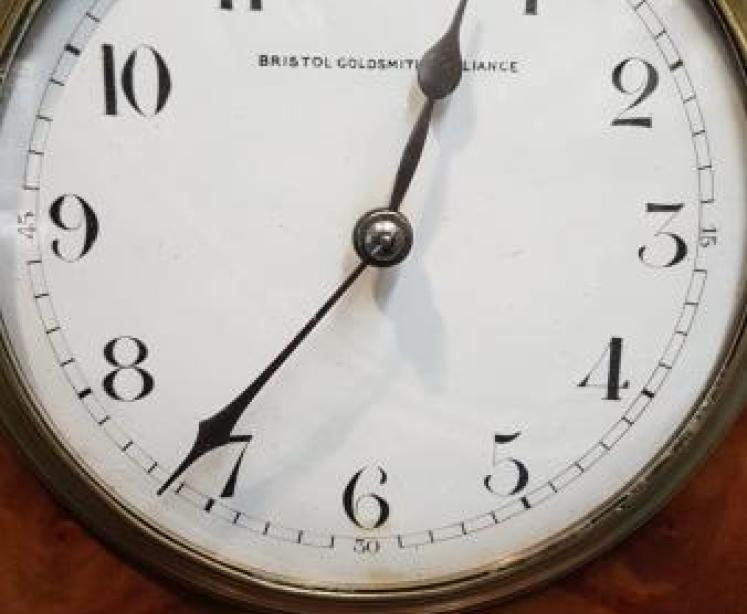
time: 12:36
